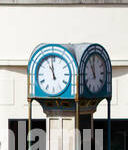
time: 10:58
